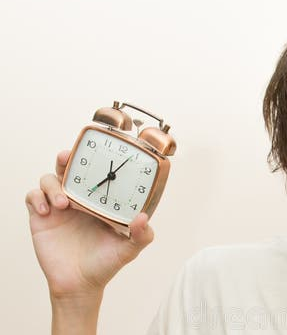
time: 7:04
